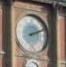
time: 2:11
